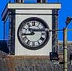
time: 8:12
